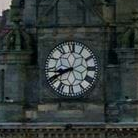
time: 8:40
